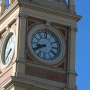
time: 8:40
